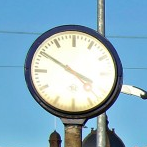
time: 3:50
